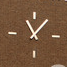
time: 11:07
